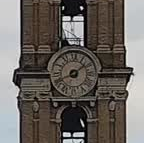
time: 1:40
